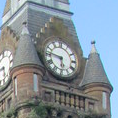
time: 5:46
